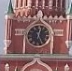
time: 12:24
